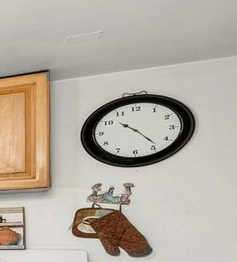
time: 10:23
